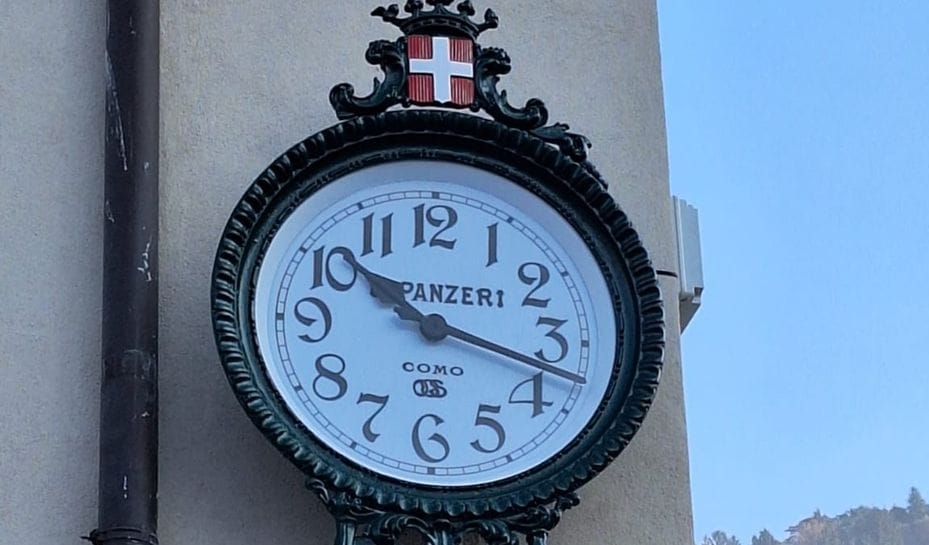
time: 10:17
